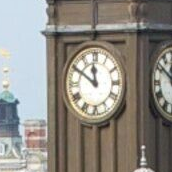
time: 11:50
